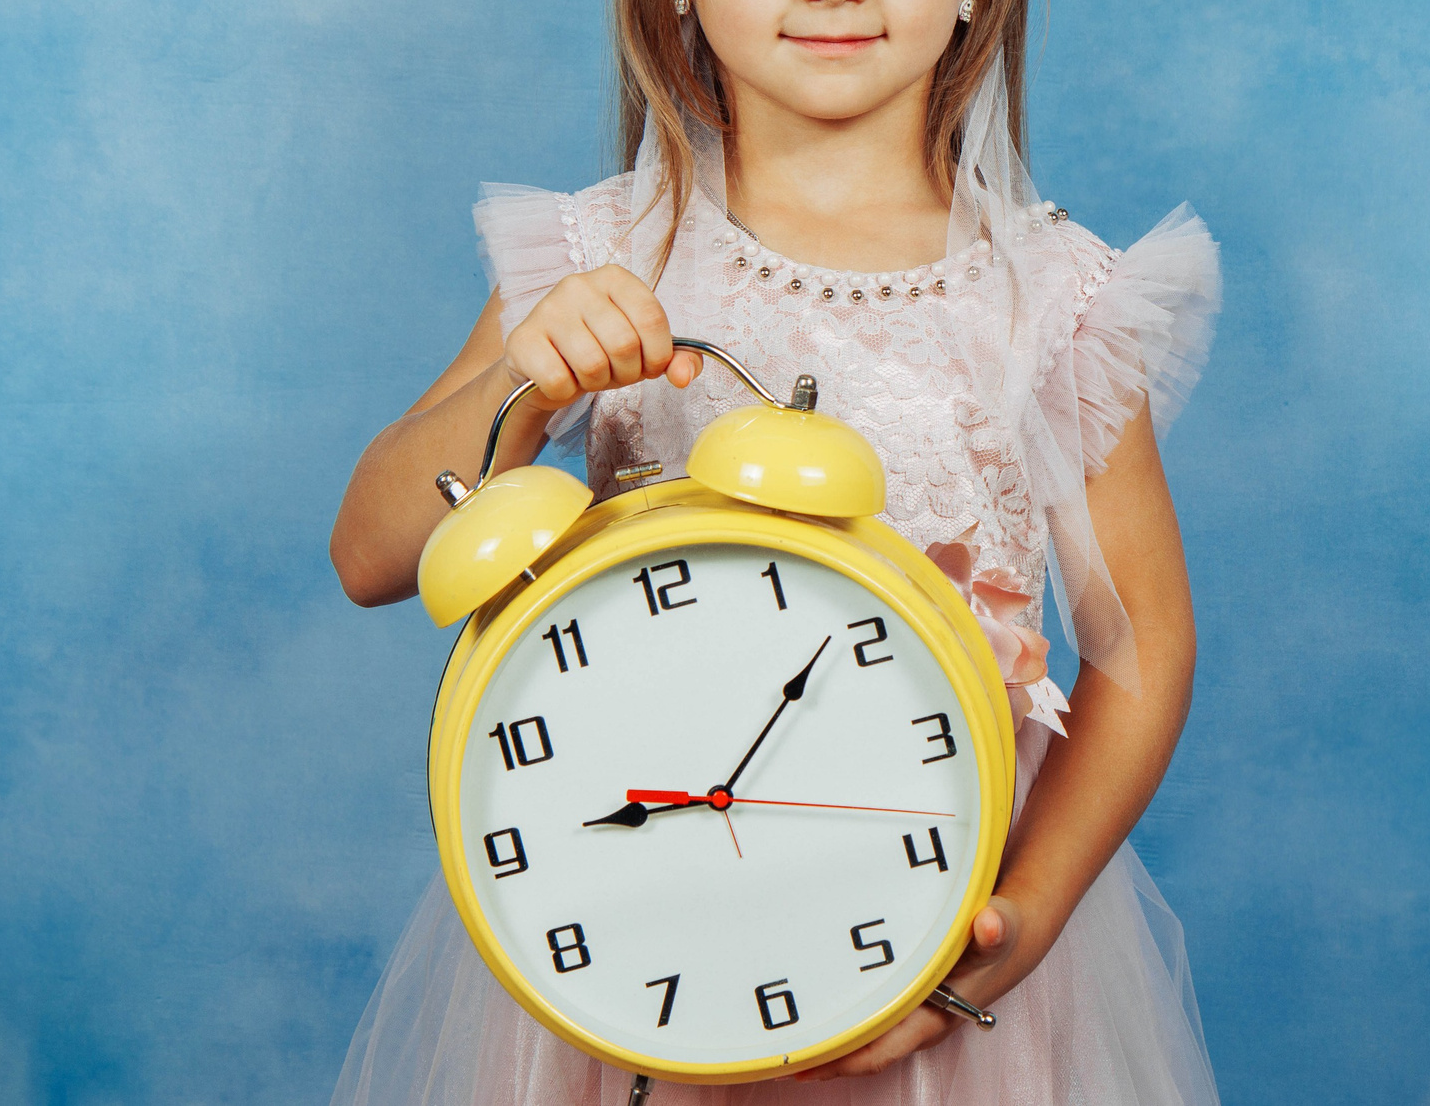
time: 9:08
